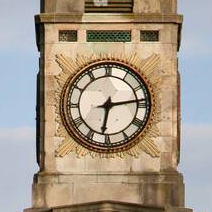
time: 6:13
